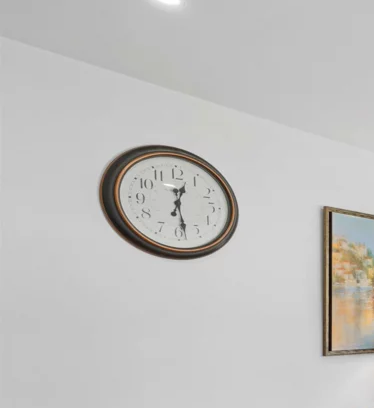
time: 12:28
